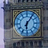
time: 6:06
